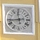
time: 11:43
